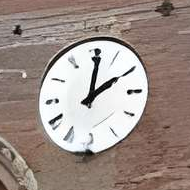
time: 2:00
